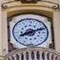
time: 8:11
